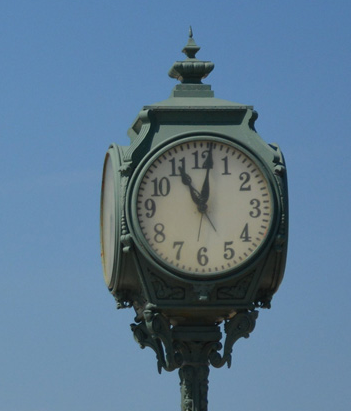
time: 11:01
